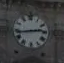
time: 2:43
